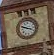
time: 3:48
